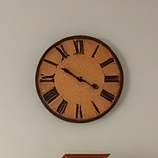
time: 3:50
